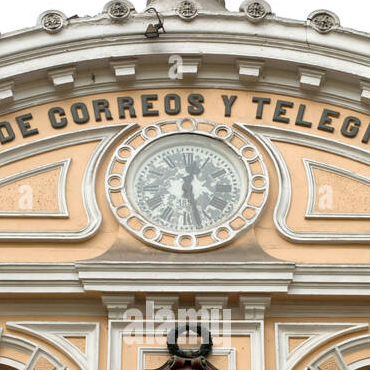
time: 12:27
